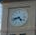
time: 4:42
